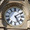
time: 5:09
